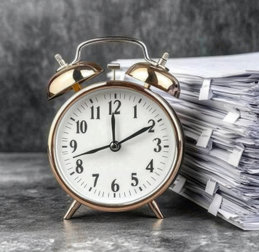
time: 1:59
